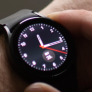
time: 11:11
